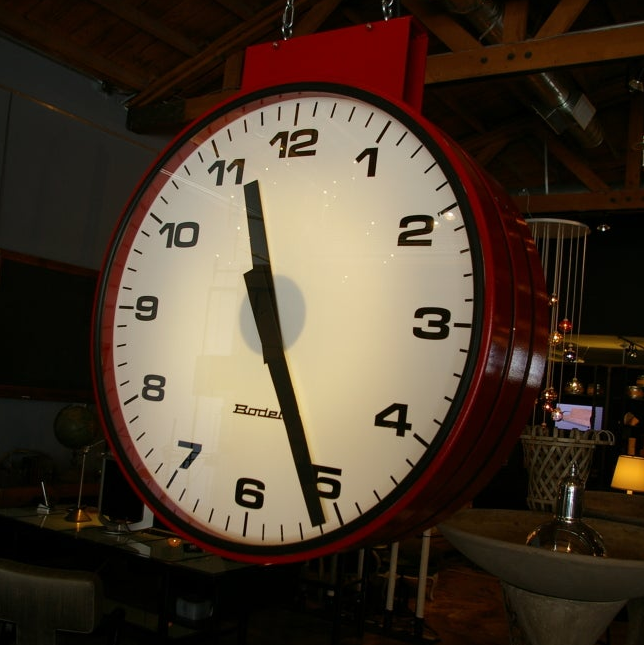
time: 11:25
